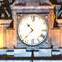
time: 10:37
